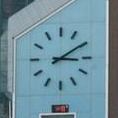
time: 3:09
